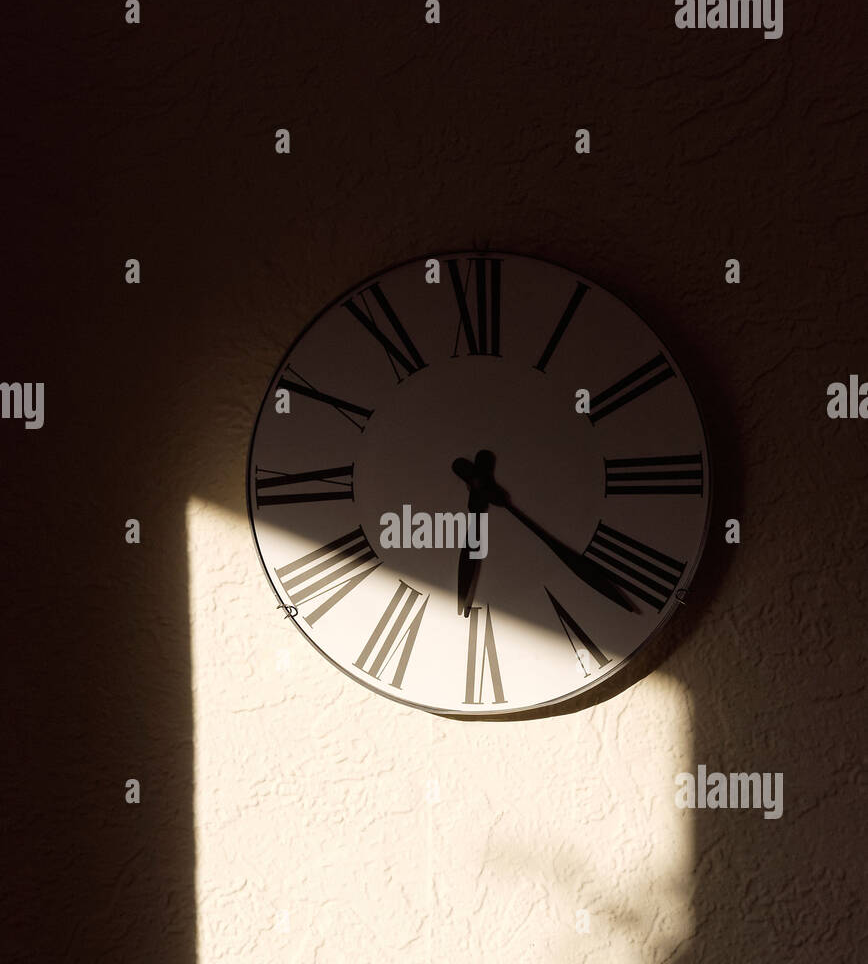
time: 6:21
